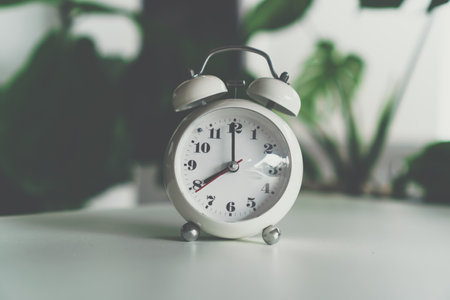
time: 7:59
